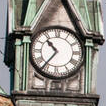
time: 10:36
